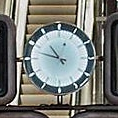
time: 10:47
